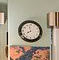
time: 7:57
